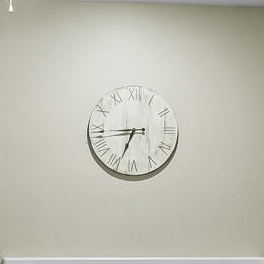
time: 6:44
